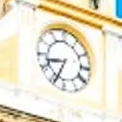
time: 8:34
